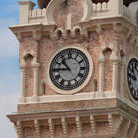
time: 10:45
